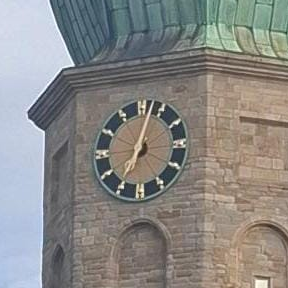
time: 7:02
